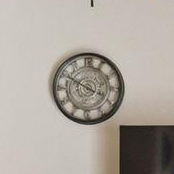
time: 3:49
